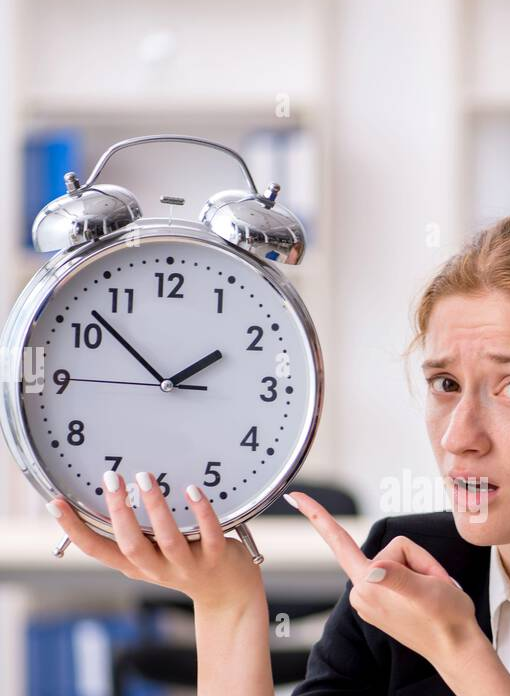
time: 1:52
